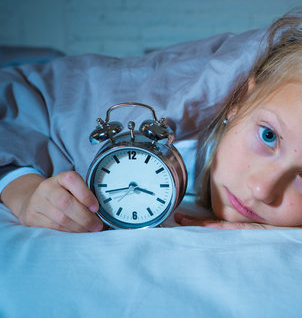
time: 3:42
